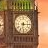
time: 6:15
